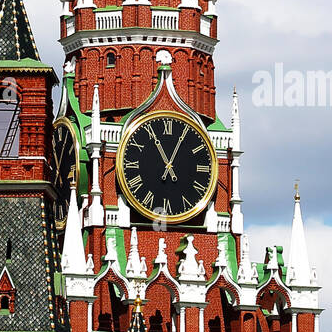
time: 11:04
